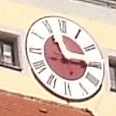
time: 11:14
